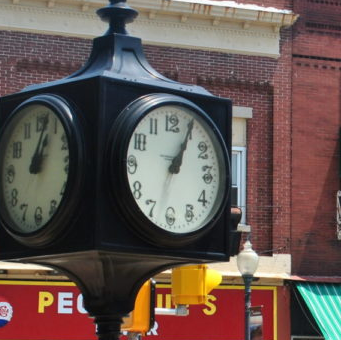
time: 1:04
